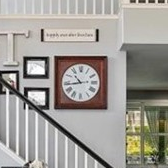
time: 10:43
